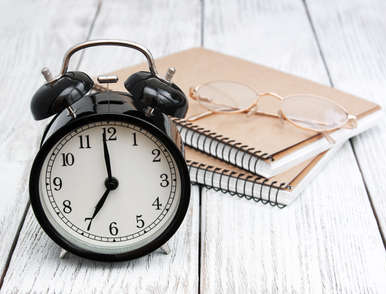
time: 6:59
